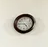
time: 4:46
